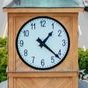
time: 1:21
